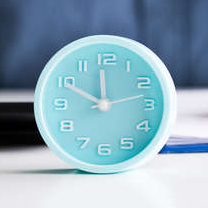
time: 11:49
